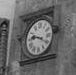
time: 9:20
